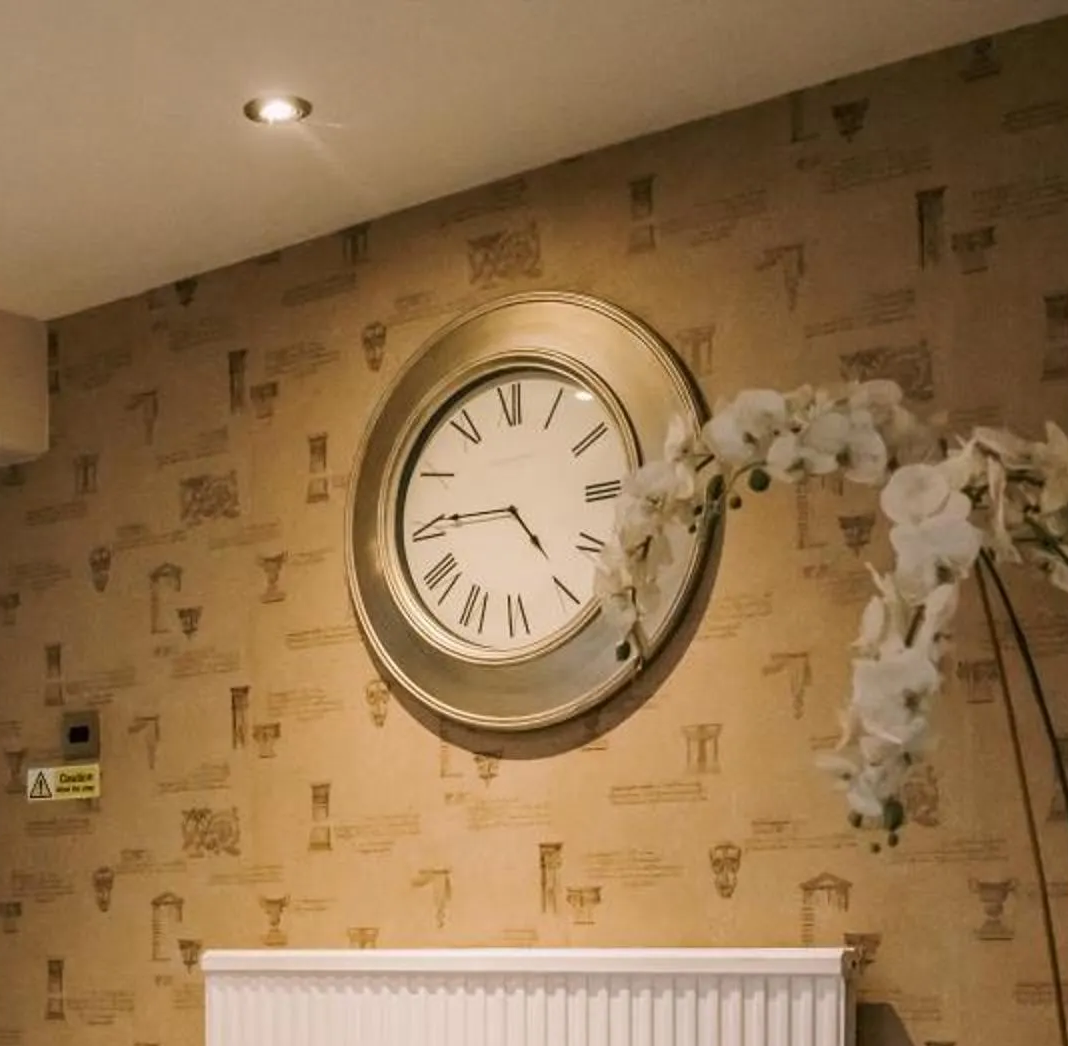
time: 4:45
